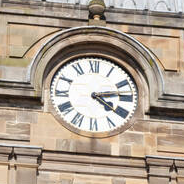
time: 4:13
